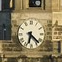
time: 6:22
